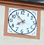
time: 7:53
